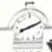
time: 8:11
